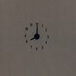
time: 8:00
